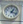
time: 1:18
